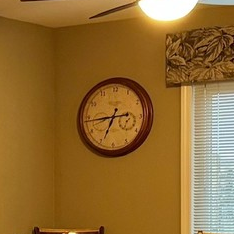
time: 6:43
